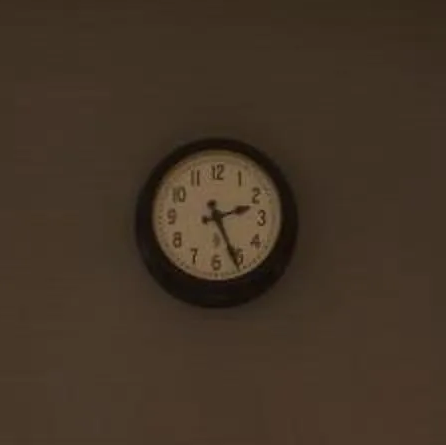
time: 2:25
